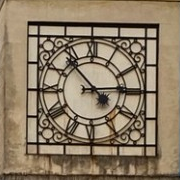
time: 2:53
